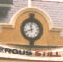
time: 11:41
